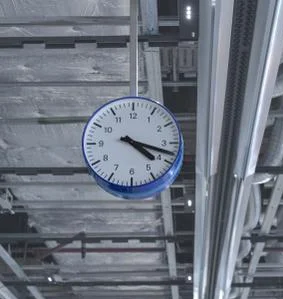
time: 4:17
